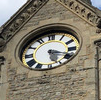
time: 5:18
